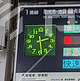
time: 2:28
